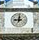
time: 9:01
